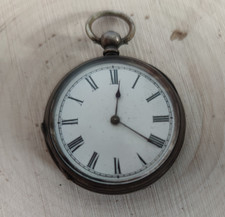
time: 12:20
